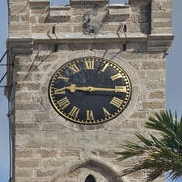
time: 9:15
